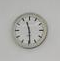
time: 11:29
